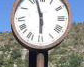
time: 5:57
